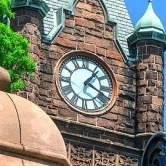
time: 1:18
